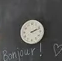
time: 2:11
